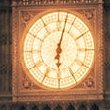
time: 6:02
